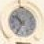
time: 10:34
